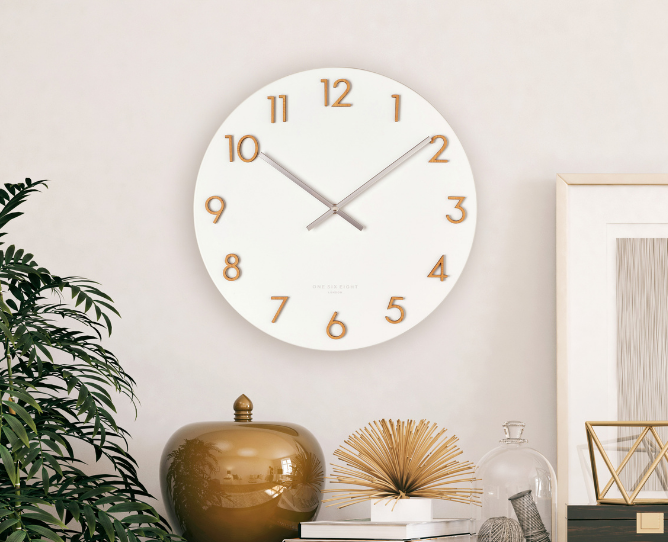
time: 10:09
